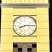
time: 8:14
